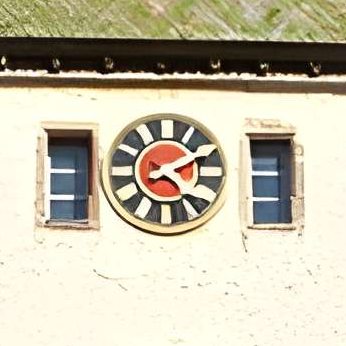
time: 4:10
